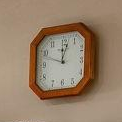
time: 12:02
